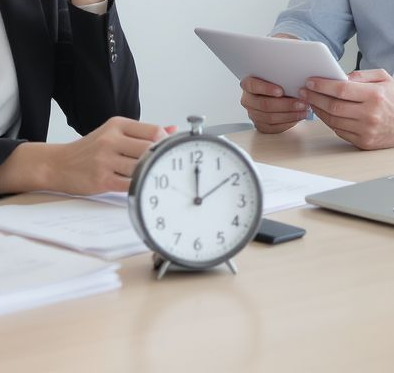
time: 12:09
